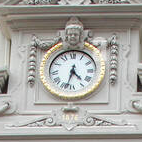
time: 4:33
